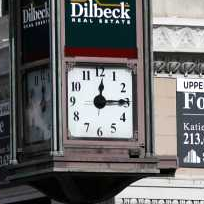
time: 12:14
